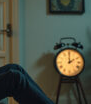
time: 2:00
